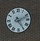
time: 2:24
